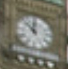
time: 11:52
